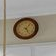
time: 5:06
